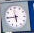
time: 5:44
